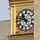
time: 10:47
